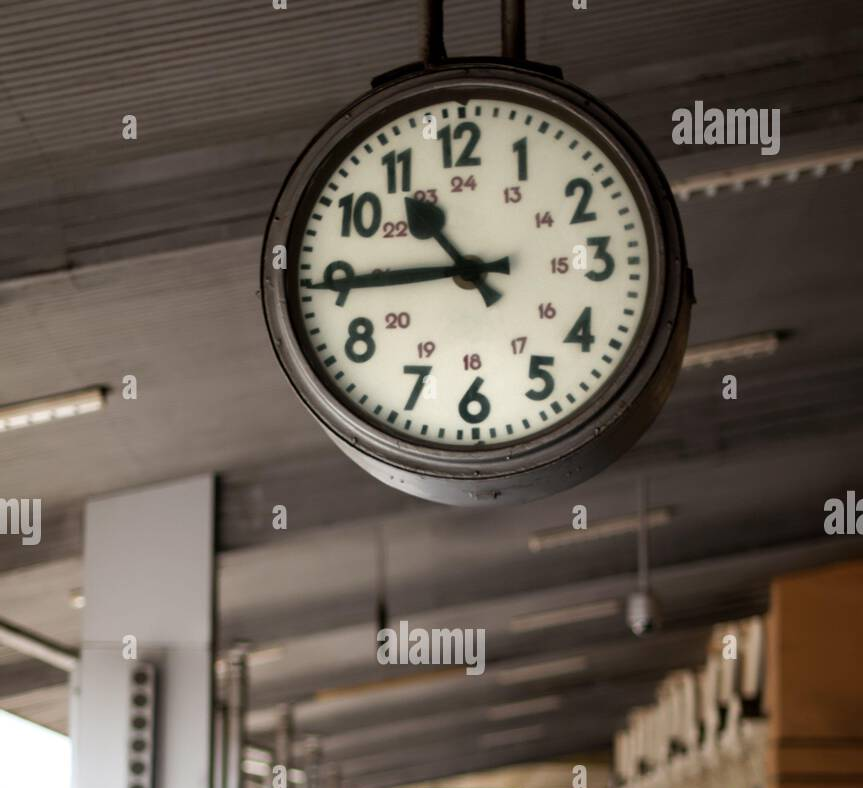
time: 10:44
